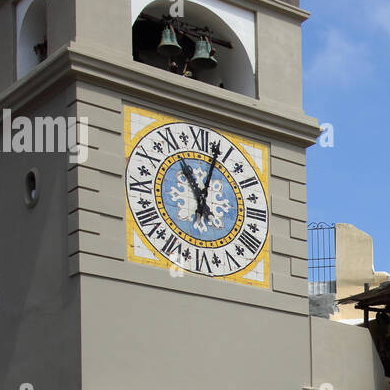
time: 11:02
